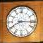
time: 8:15
